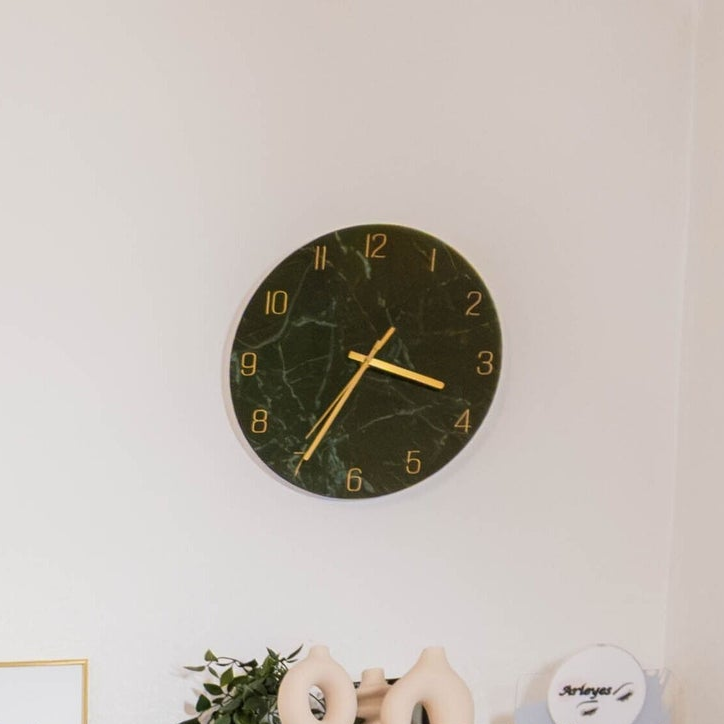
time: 3:34
